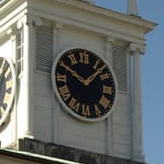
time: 10:07
